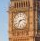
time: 7:12
